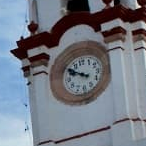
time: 9:50
